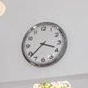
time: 3:38
